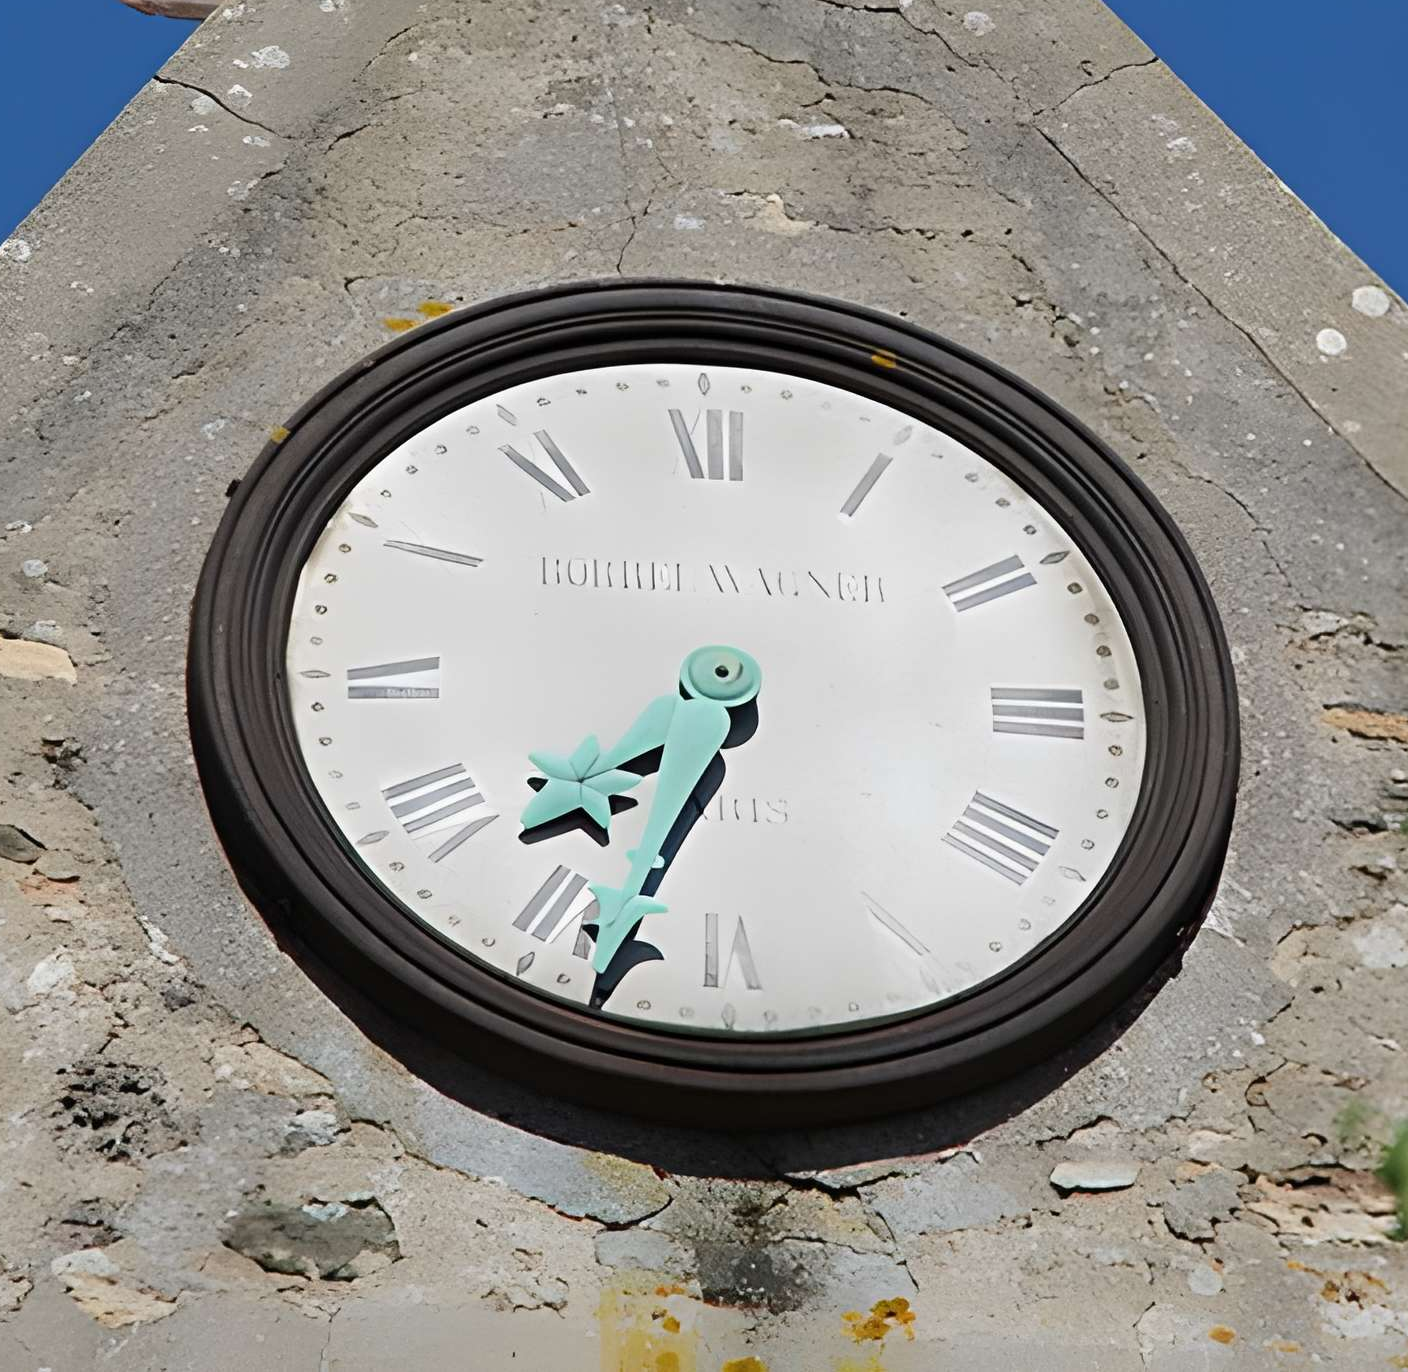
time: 7:33
